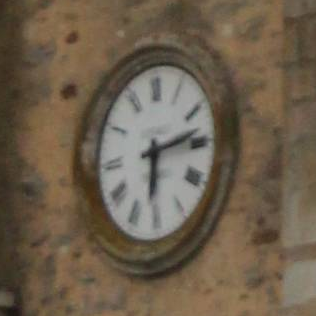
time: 6:13
